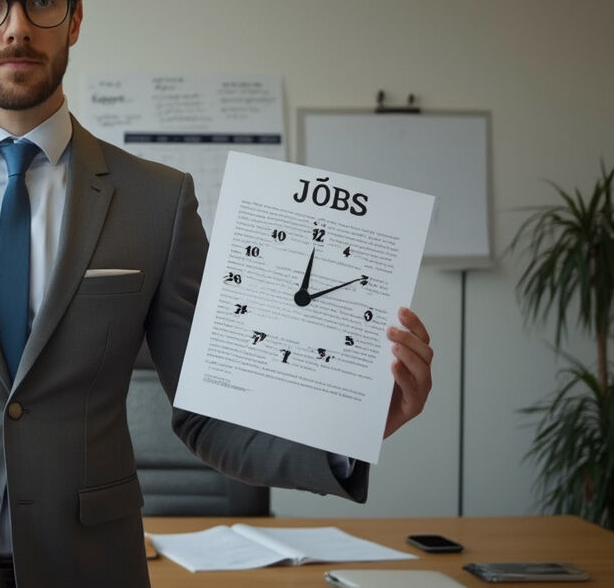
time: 12:09
